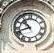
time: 10:41
